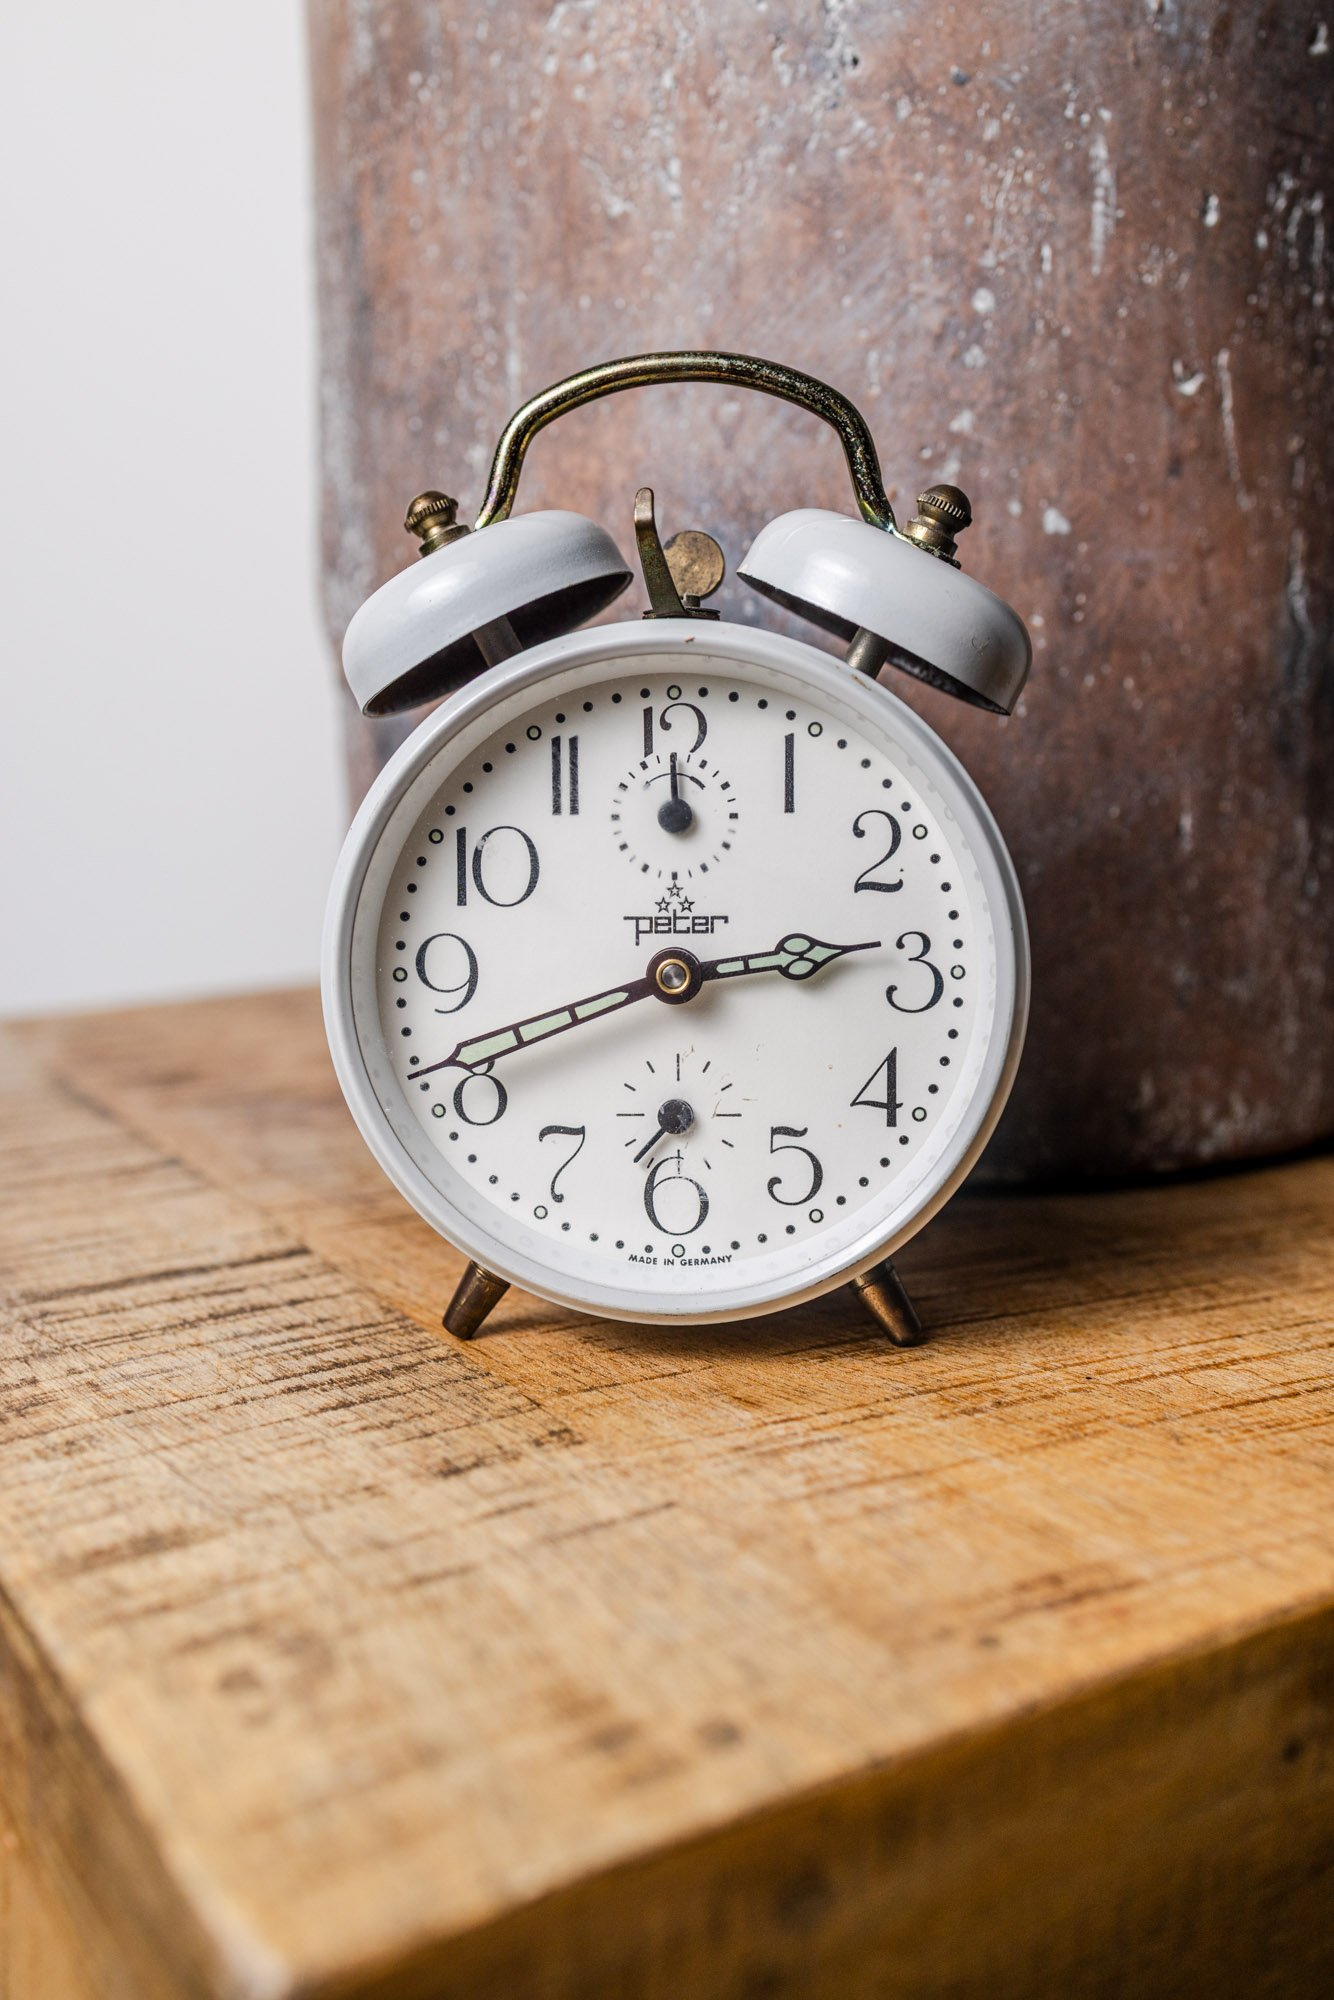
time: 2:41
